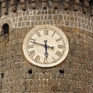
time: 5:47
